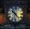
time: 10:24
